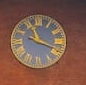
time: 11:18
